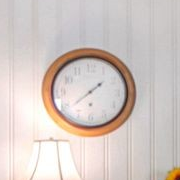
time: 1:38
